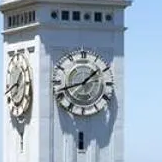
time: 1:42
